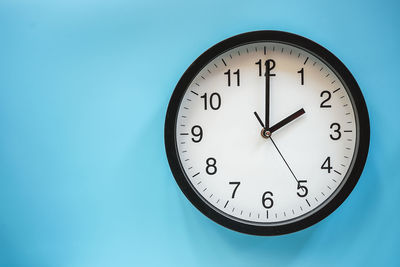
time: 2:00
